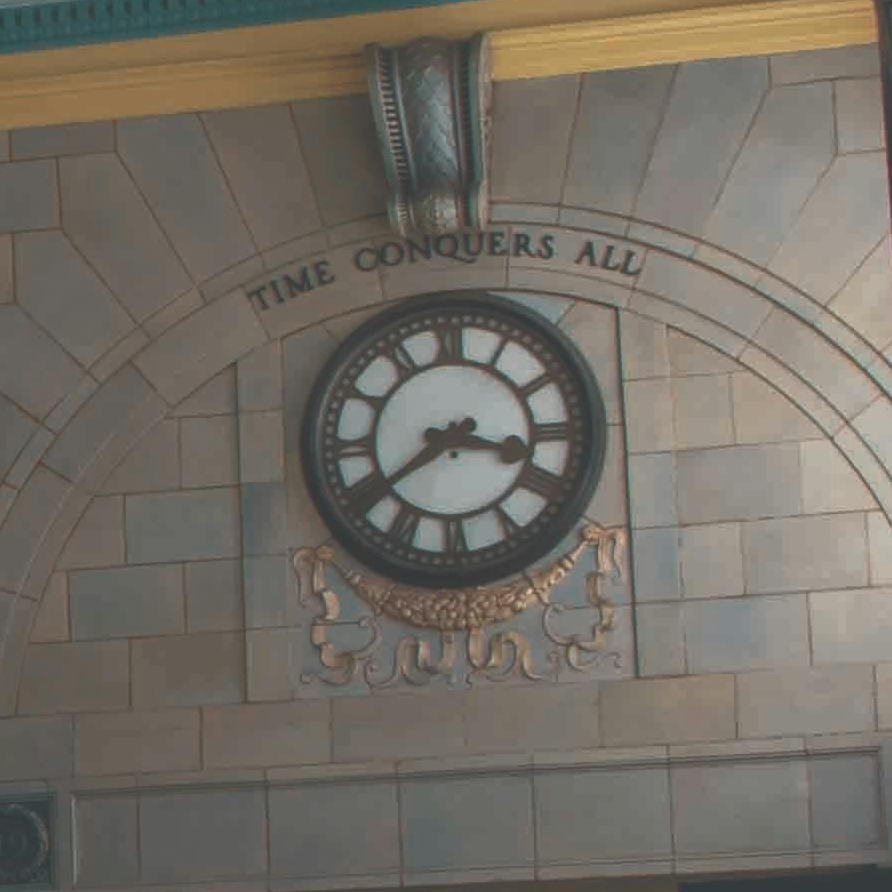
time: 3:38
